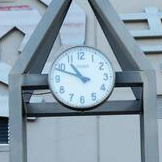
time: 10:48
